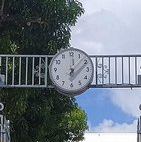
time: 12:07
